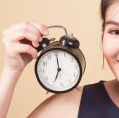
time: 7:00
